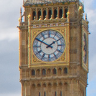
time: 1:50
